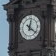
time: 12:21
